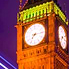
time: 7:15
